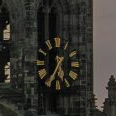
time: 5:35
